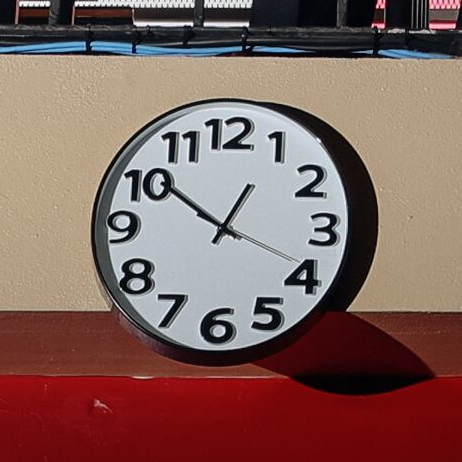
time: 12:51
